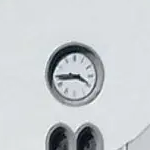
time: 3:44
